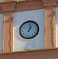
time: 1:02
